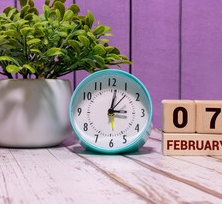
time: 3:01
